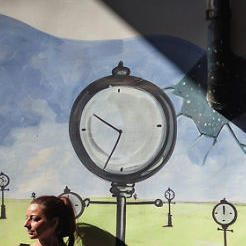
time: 6:50
